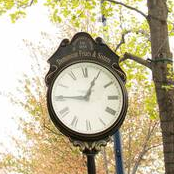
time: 12:45
